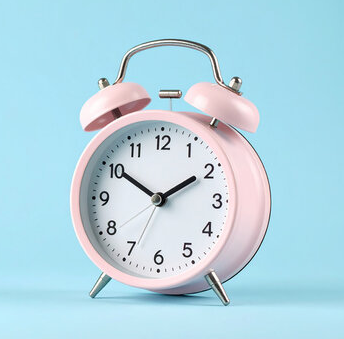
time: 1:50
